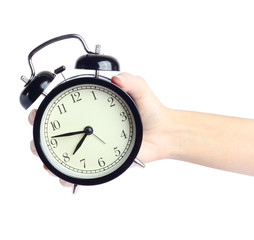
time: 7:46
